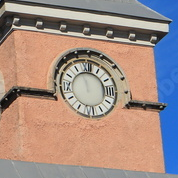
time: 11:57
